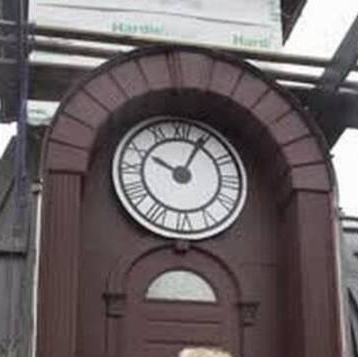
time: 10:04
